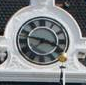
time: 3:47
